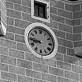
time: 8:45
